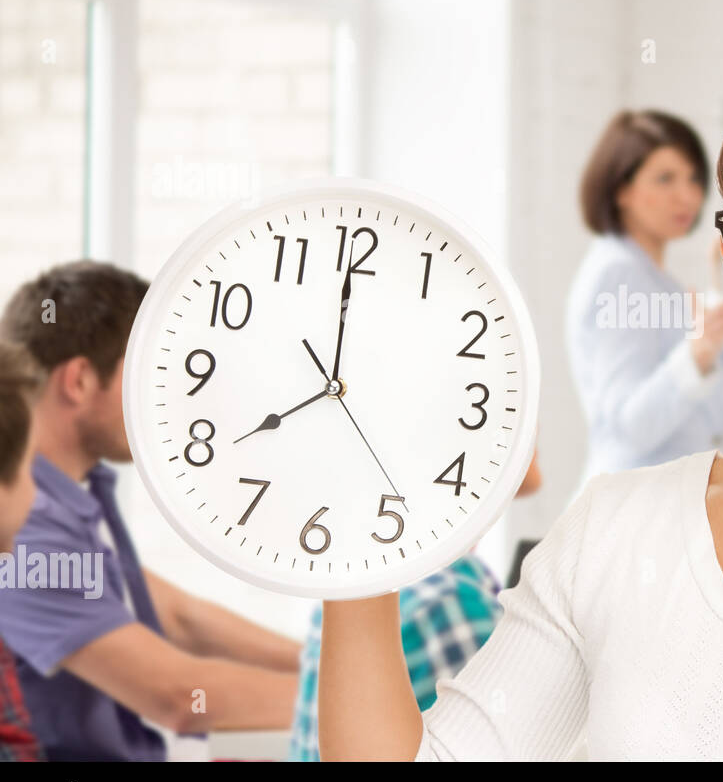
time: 7:59
